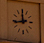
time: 11:43
